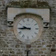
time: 9:44
